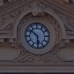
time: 5:51
